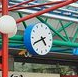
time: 4:40
